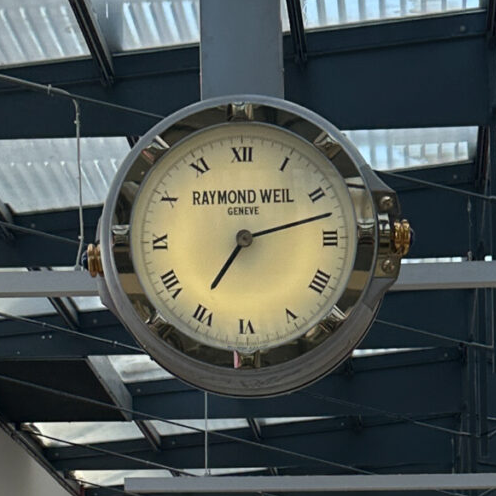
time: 7:12
